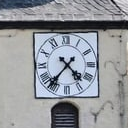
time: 4:37
